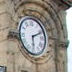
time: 6:11
